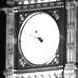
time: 10:48
